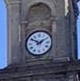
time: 1:50
